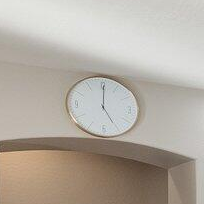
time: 5:00
